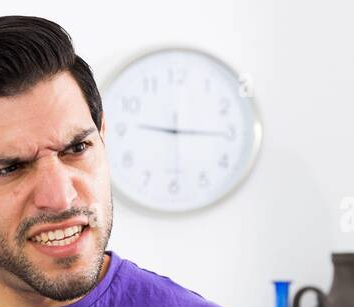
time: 9:15
